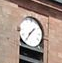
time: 1:35
